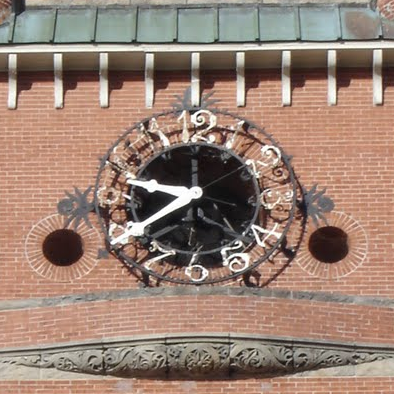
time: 9:39
